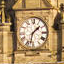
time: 1:32
